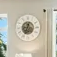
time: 12:34
